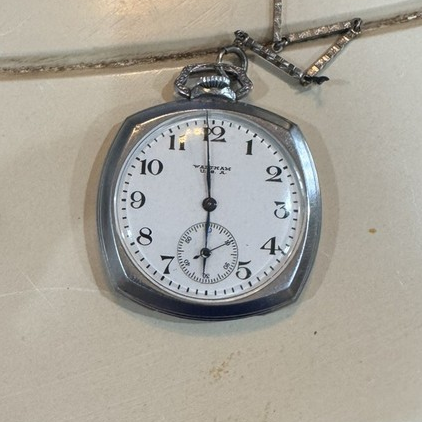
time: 5:59
